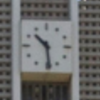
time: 10:28
